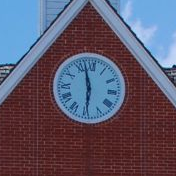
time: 5:57
